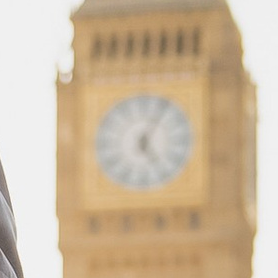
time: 5:04
